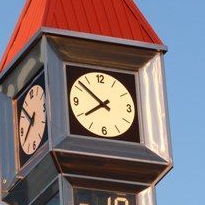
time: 7:51
